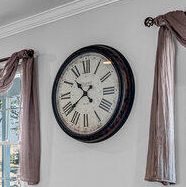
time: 10:38
